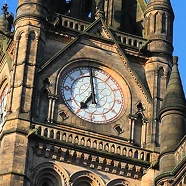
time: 6:58
